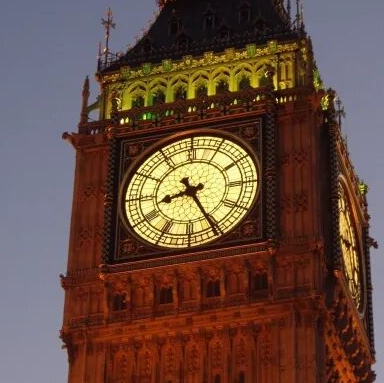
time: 8:25
